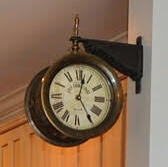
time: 12:24
